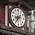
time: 8:36
